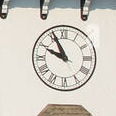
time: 9:55
